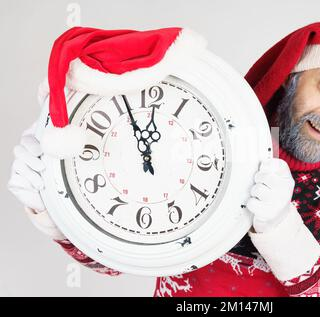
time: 11:55
